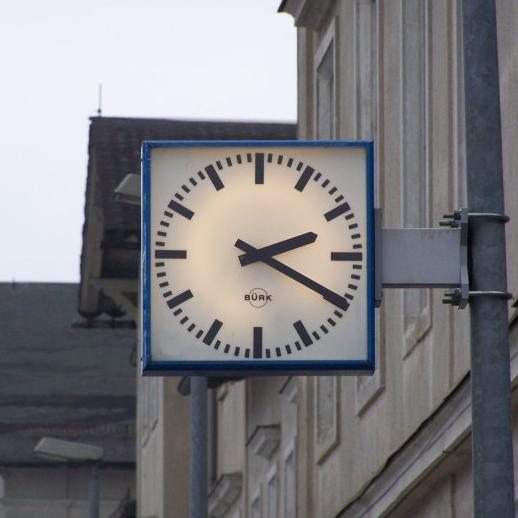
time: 2:19
